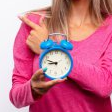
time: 8:47
